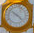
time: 10:22
